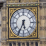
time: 5:34
